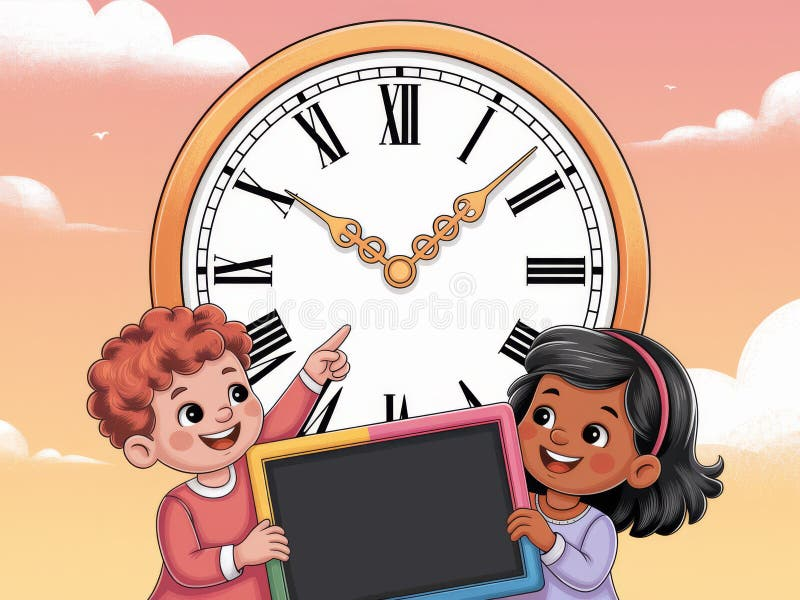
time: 10:07
